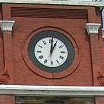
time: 1:01
